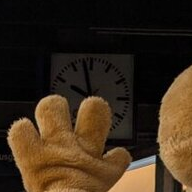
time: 9:57
